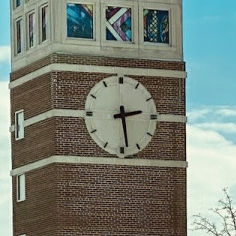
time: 2:28
